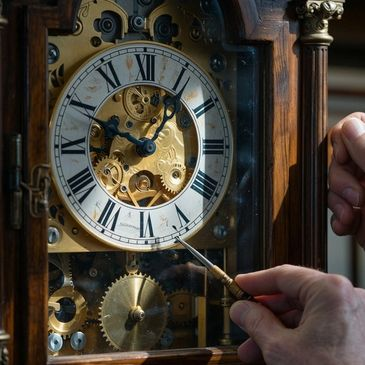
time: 12:49
